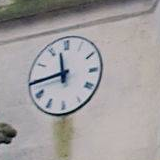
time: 11:43
